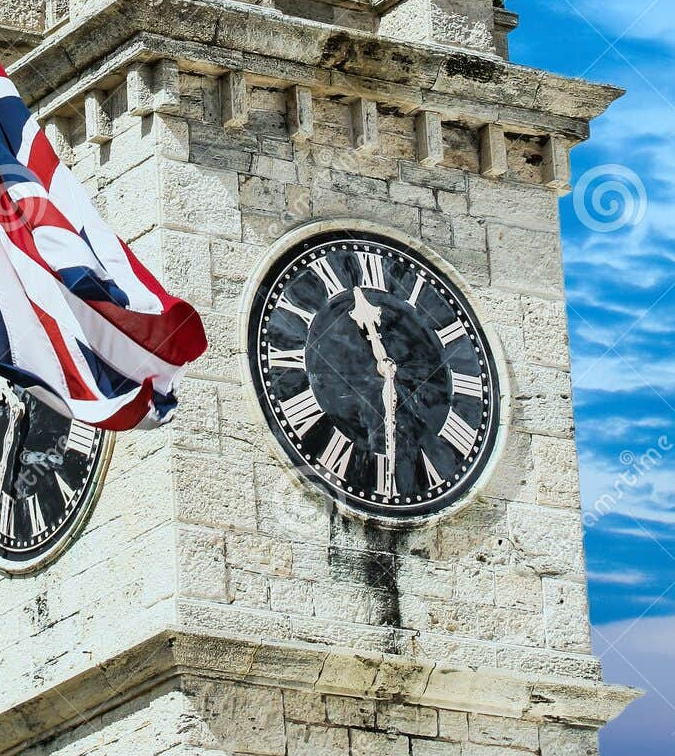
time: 11:29
